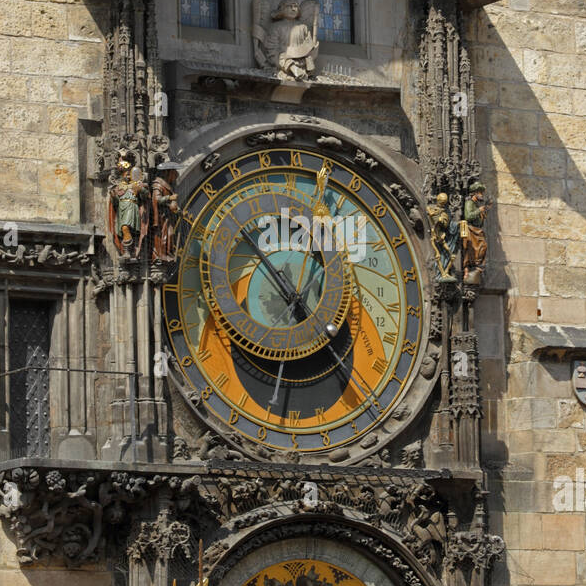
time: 12:52
